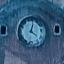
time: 4:02
